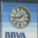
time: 1:43
